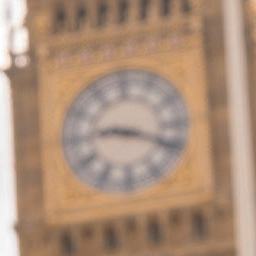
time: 9:18
